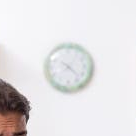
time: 7:22
